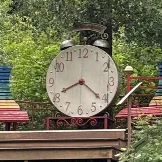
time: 8:21
